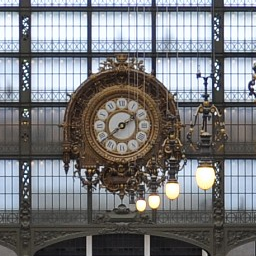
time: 1:38
